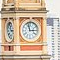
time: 2:58
